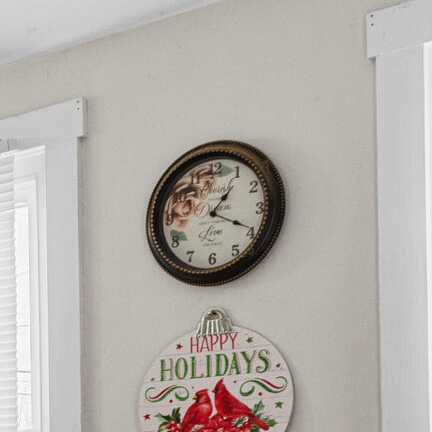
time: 1:19
